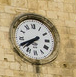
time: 7:40
